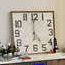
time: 5:00
